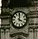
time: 4:00
